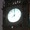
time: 7:59
